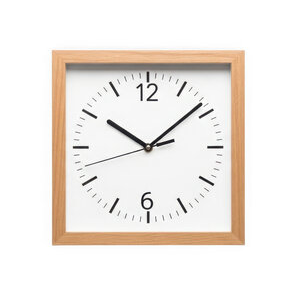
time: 10:08
